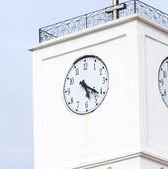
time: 5:21
